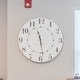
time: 11:28
